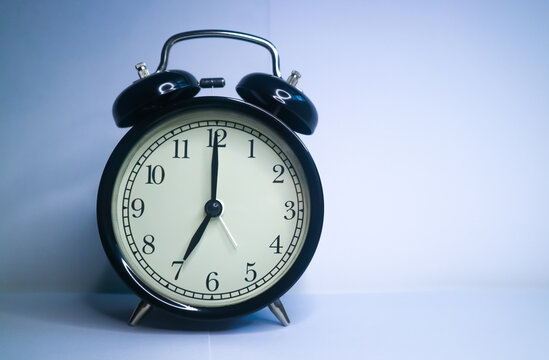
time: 7:00
